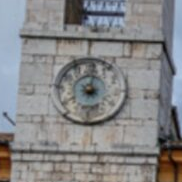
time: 9:01
